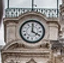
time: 4:00
